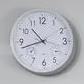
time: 10:42
